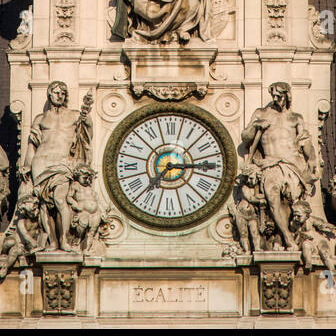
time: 7:15
